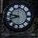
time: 8:47
